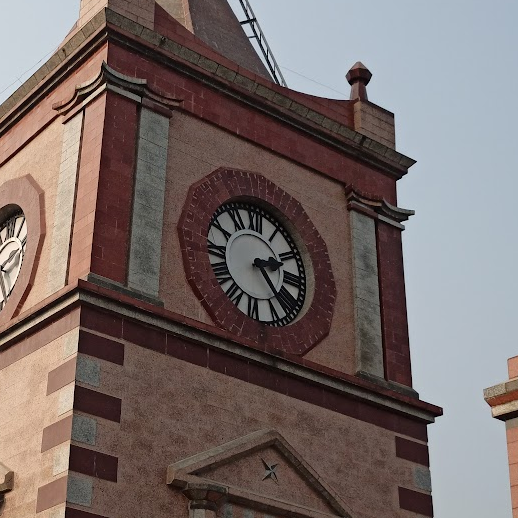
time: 2:23
